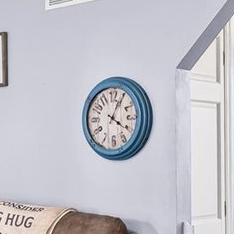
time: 4:04
